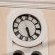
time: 5:26
